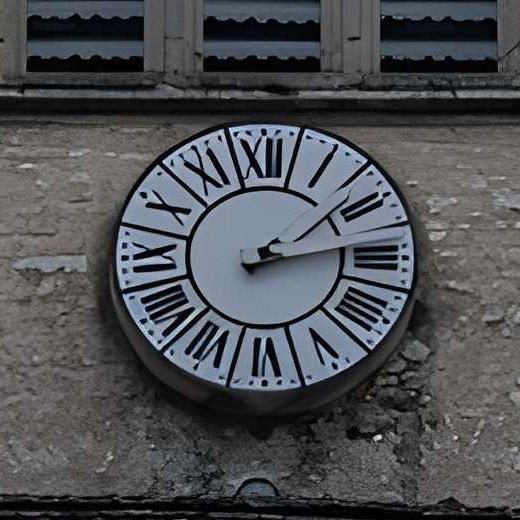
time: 2:13
